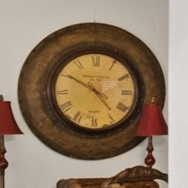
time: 4:50
